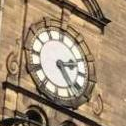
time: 2:23
